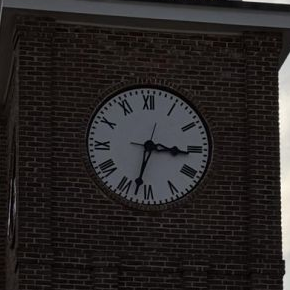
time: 3:32
